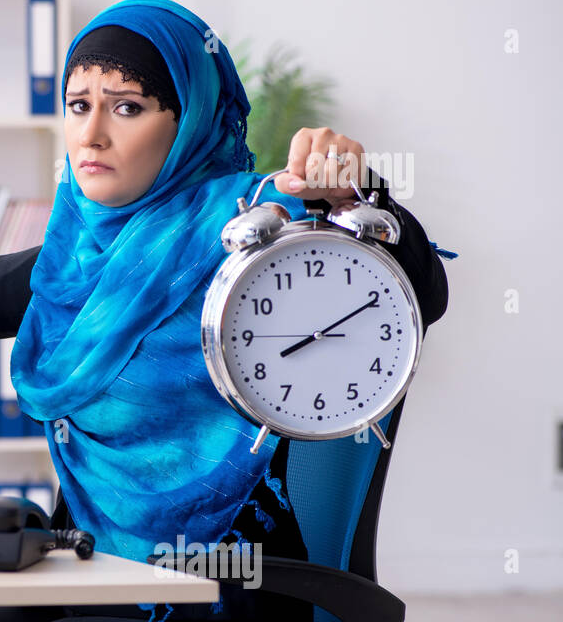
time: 8:10
